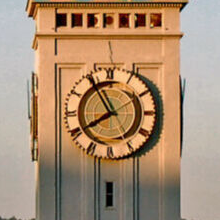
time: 7:55
